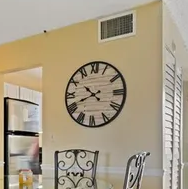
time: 10:41
